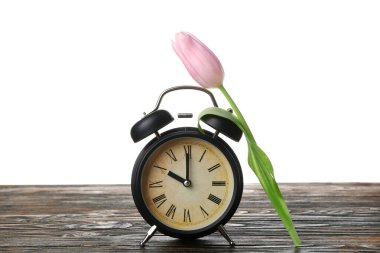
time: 10:00
